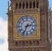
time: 2:34
